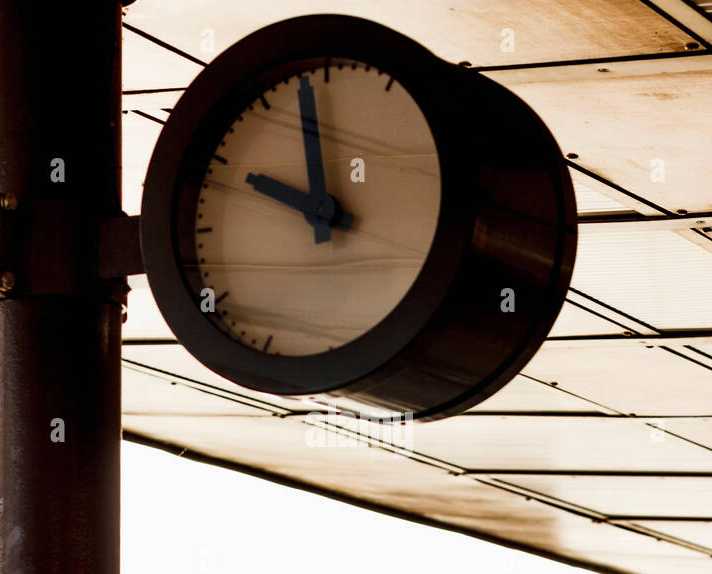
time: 9:58
